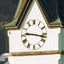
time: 9:17
